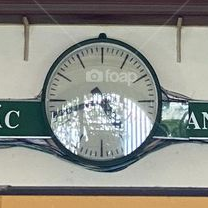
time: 4:42
